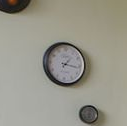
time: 1:16
